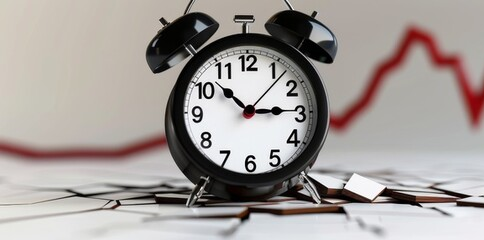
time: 2:52
